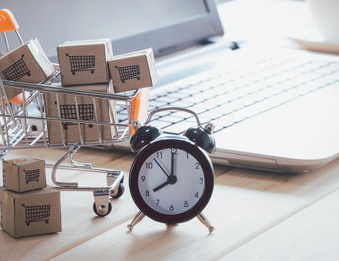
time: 8:00
